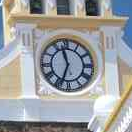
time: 11:33
